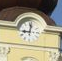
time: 9:01
